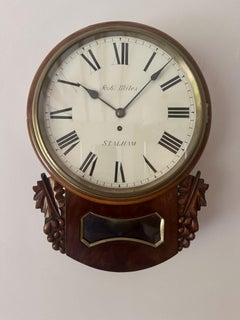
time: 10:07
